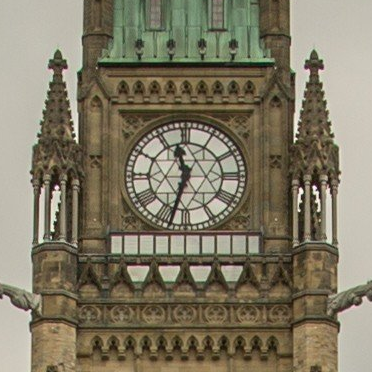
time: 11:32
